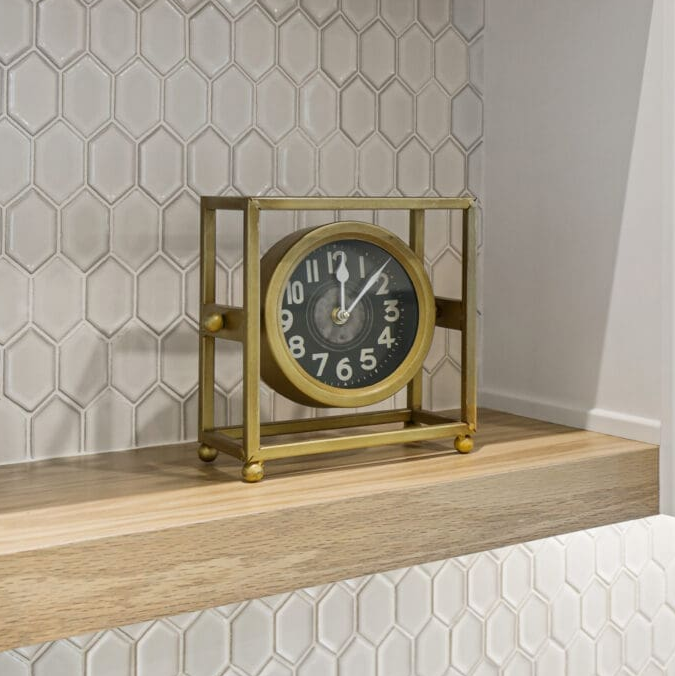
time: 12:07
